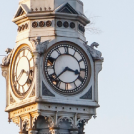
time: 3:37
